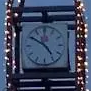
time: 4:50
